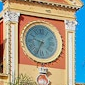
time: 9:34
